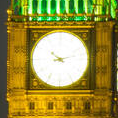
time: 10:12
